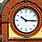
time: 10:14
